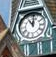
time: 11:01
